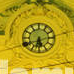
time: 5:32
